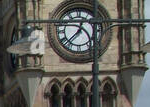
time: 12:37
